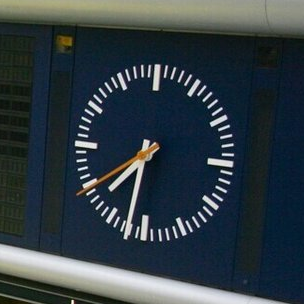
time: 7:32
